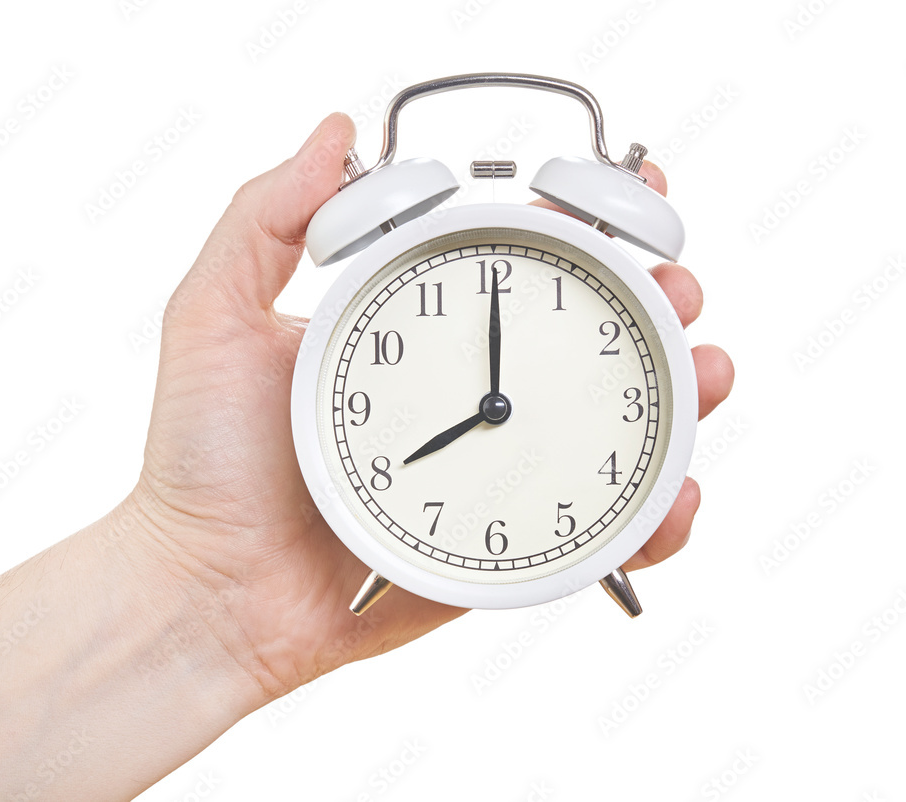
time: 8:00
